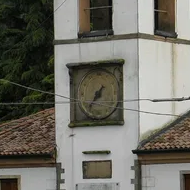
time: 7:36
